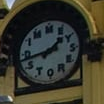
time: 1:43
